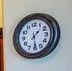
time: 1:29
